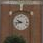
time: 9:42
